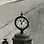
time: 11:07
